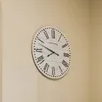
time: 7:47
